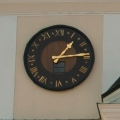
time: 1:14
